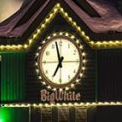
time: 6:57
